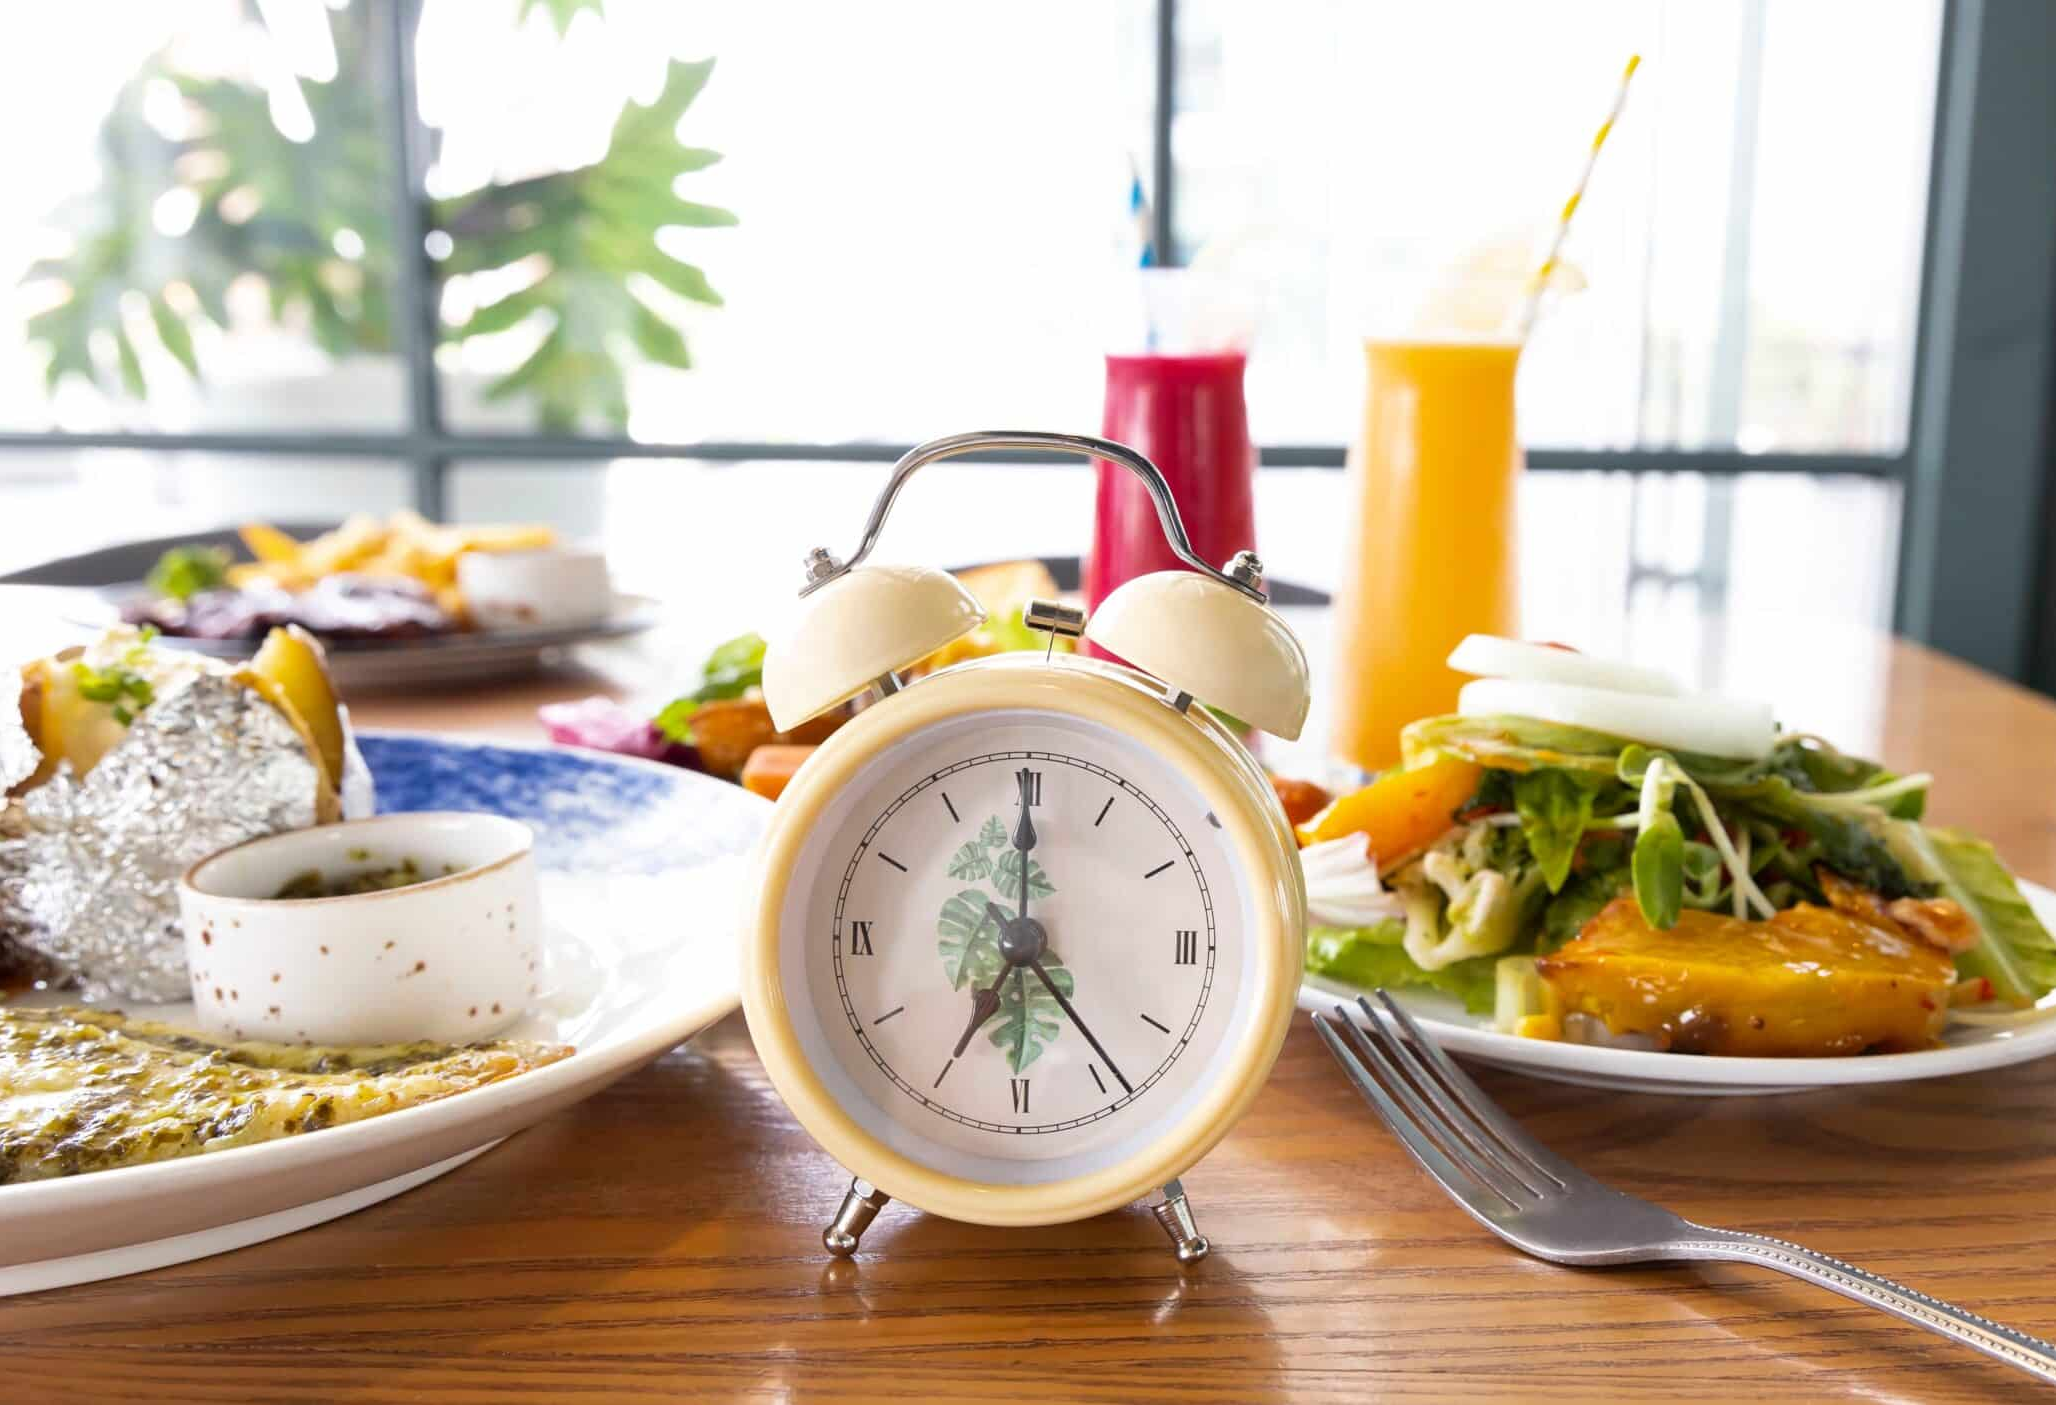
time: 7:00
